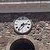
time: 2:36
